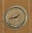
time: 1:43
